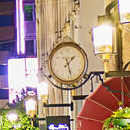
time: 1:26
